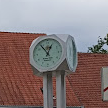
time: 12:53
